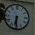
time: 6:30
